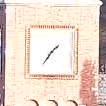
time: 1:36
